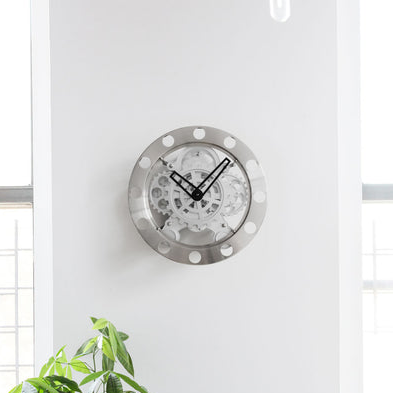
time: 10:07
